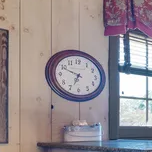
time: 6:49
